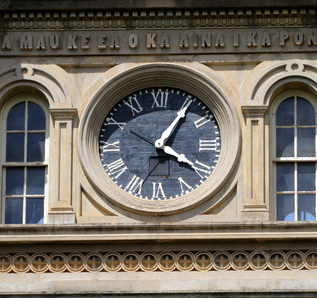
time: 4:05
